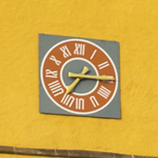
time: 7:15
